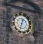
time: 12:32
